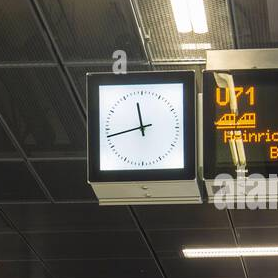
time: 11:42
